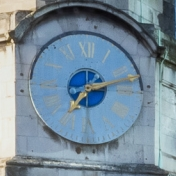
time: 7:12
